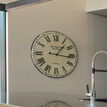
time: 1:16
